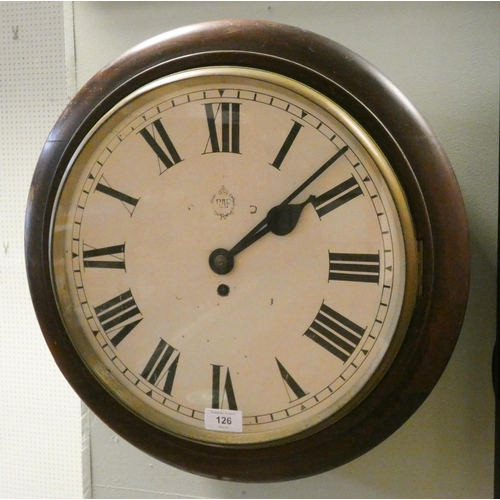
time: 2:08
